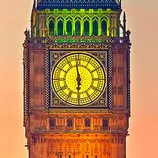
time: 5:58
